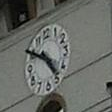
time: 4:50
